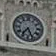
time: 7:25
